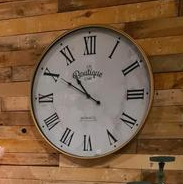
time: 10:50
